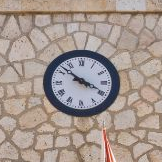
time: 3:52
